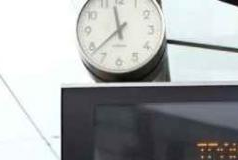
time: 11:38
